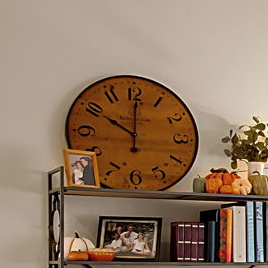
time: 10:00
